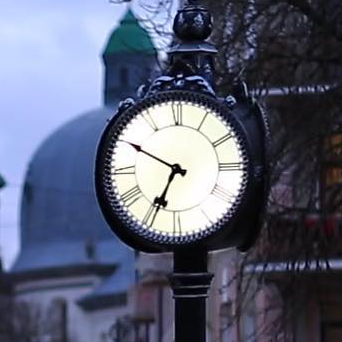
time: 6:49
